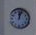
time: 12:03
